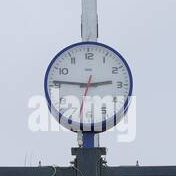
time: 2:46
